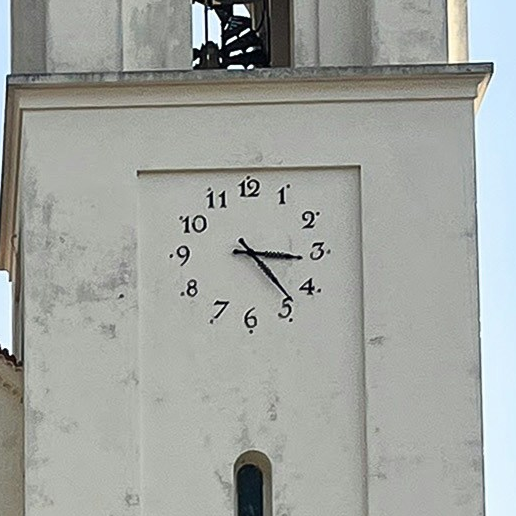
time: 3:23
